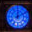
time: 12:09
